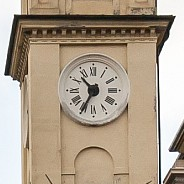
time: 10:34
